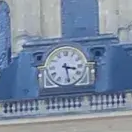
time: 3:28
